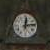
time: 12:13
